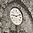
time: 9:11
